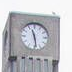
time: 11:28
